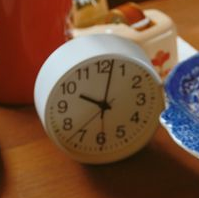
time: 10:02
